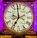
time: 6:58
